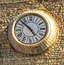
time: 4:52
